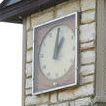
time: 1:01
